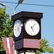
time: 5:08
